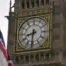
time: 8:31
